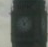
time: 11:07
